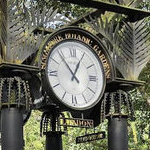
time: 12:53
